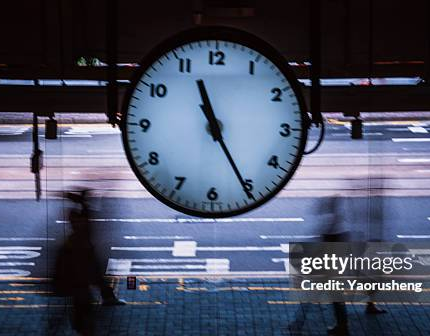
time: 11:25
